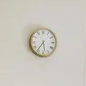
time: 5:35
